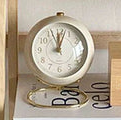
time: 12:02
